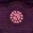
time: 9:26
